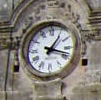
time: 1:18
